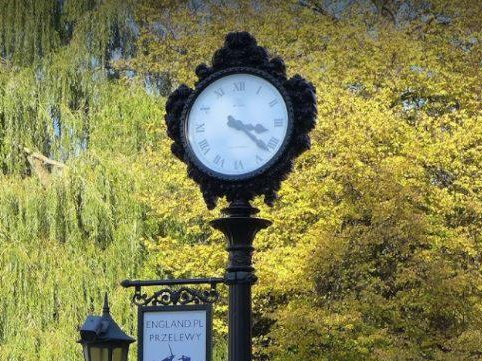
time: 3:21
